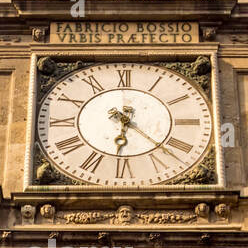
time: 6:21
